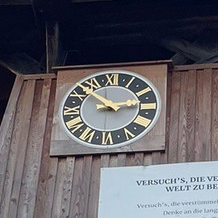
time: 2:52
